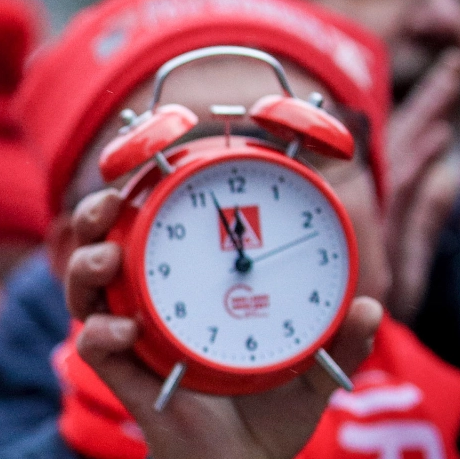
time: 11:57
